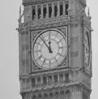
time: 11:53
